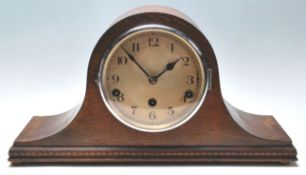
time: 1:52
